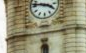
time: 3:46
